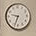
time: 9:33
